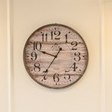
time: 9:35
